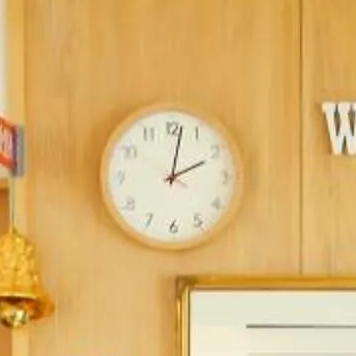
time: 2:01
